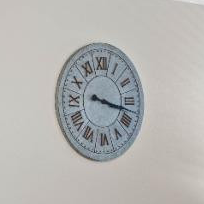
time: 3:17
